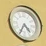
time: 4:34
